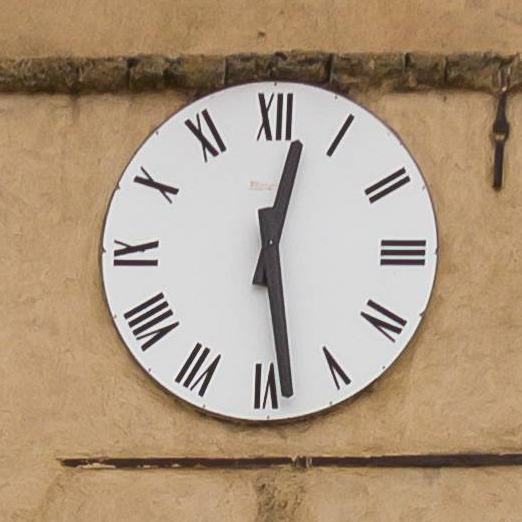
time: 12:28
